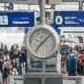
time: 7:07
